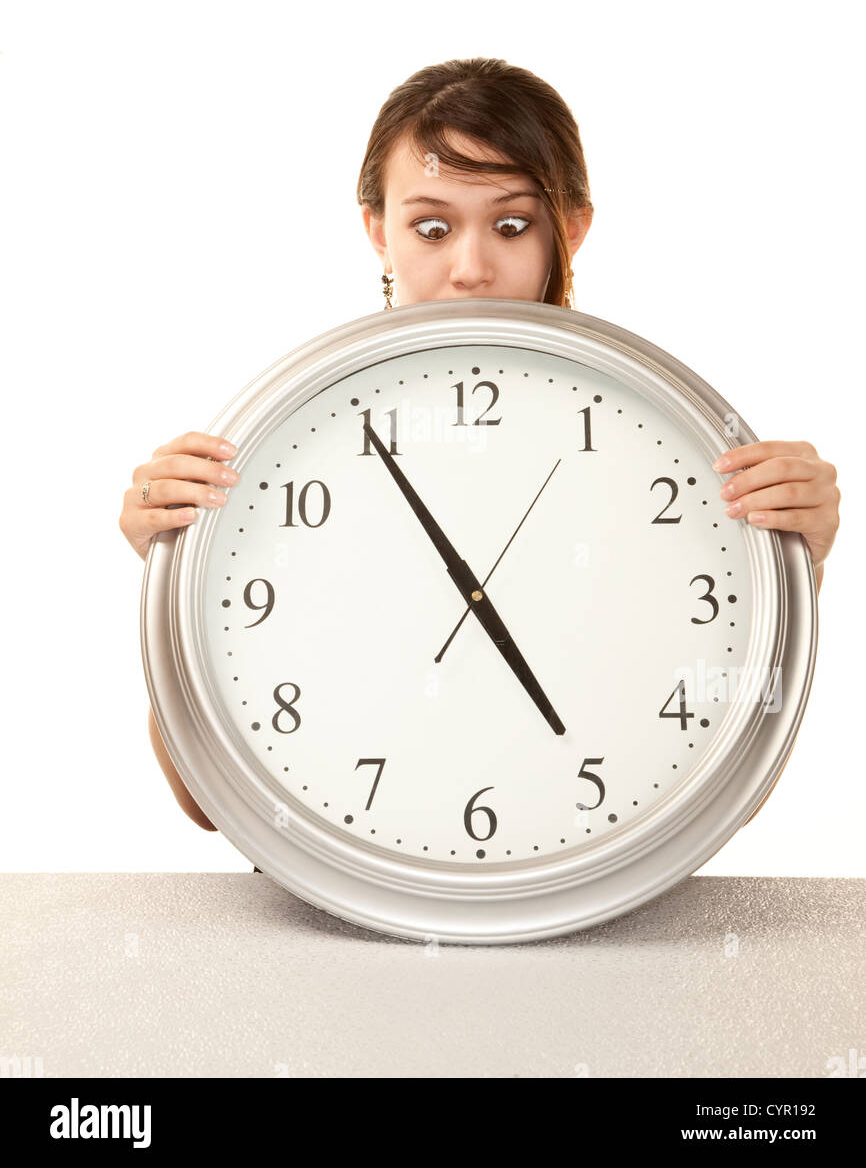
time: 4:54
